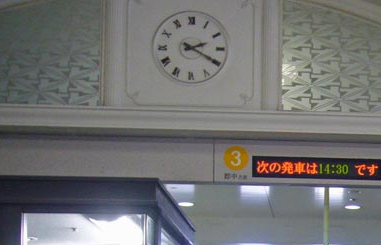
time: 2:20
